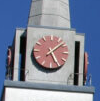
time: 5:08
